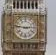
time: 2:46
